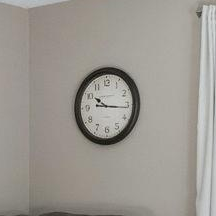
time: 10:16
